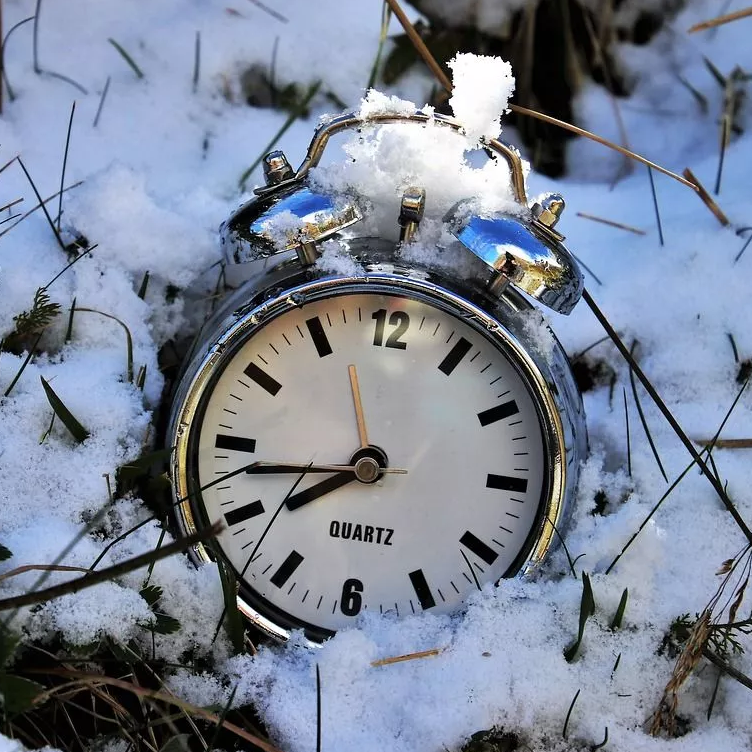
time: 7:43
